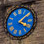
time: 4:09
